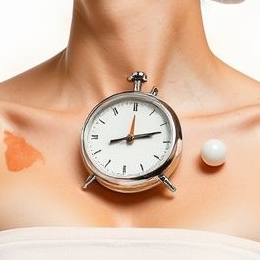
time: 12:12
